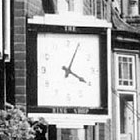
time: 4:04
